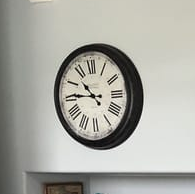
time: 10:45
